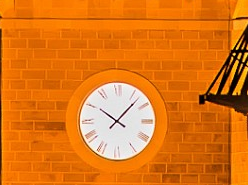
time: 10:07
